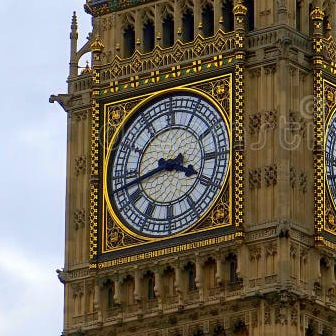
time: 3:42
